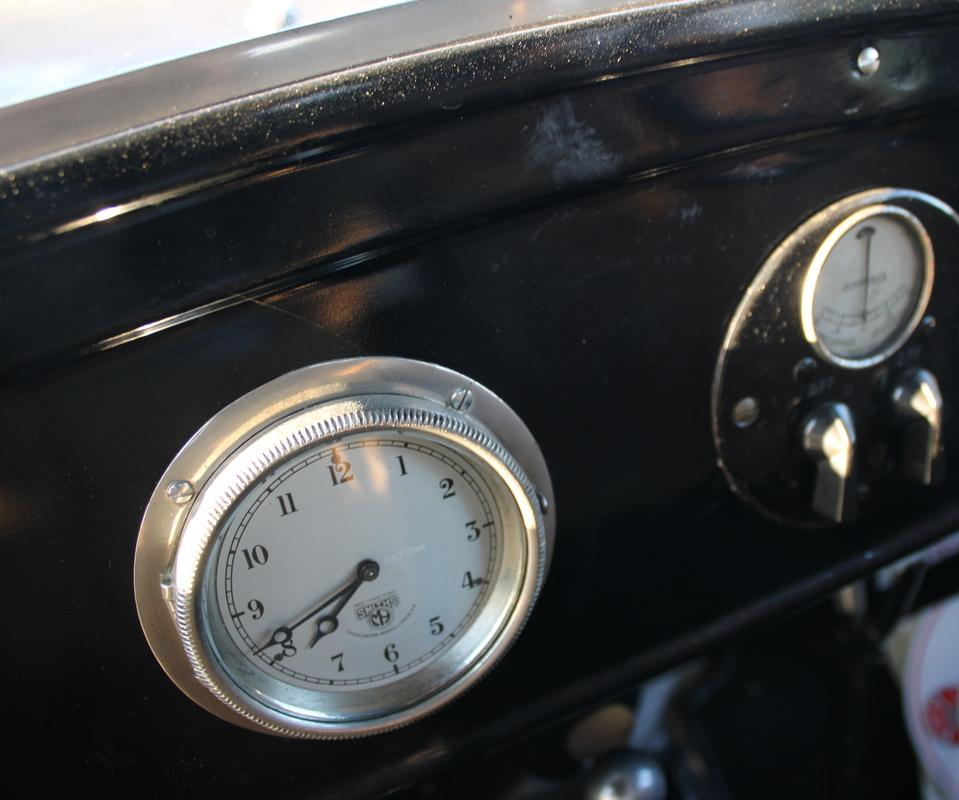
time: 7:41
